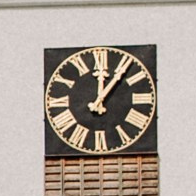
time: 12:06
